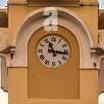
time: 11:16
